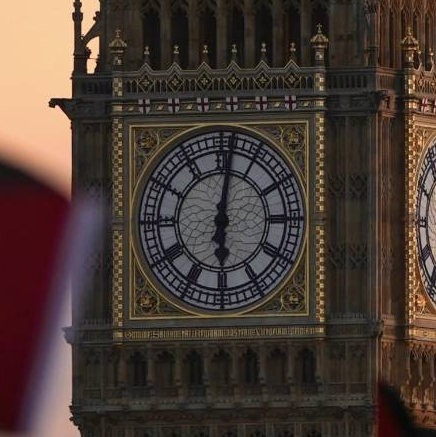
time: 6:01
